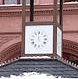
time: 5:59
